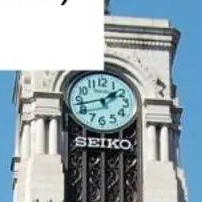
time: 1:42
